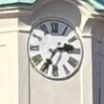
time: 2:35
